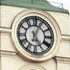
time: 5:03
